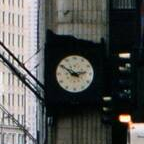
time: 2:50
